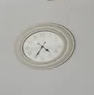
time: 4:34
